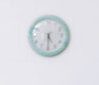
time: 4:30
